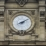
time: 8:09
